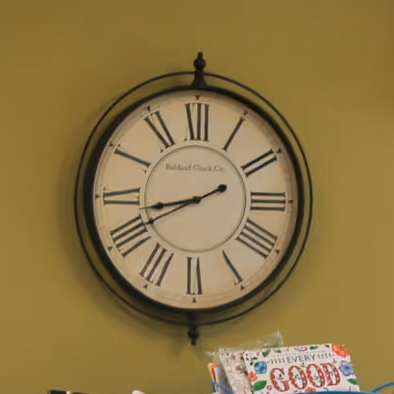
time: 8:41
